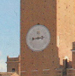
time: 2:43
